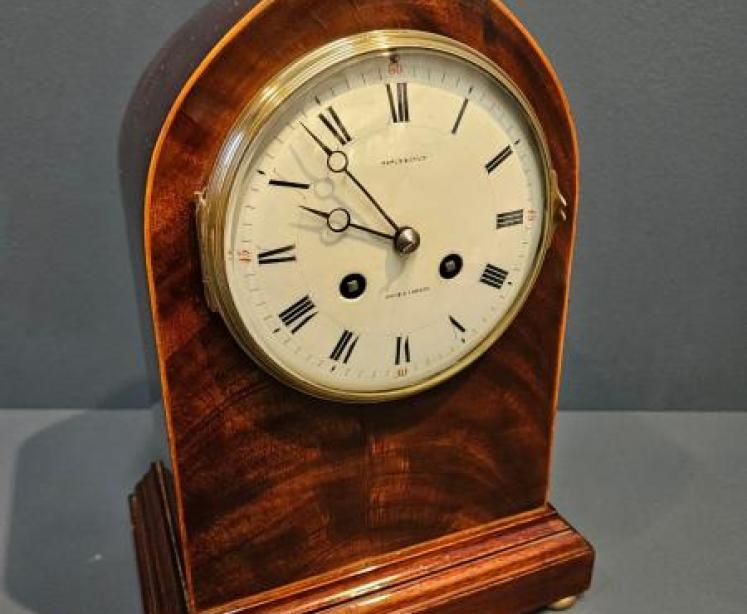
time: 9:53
